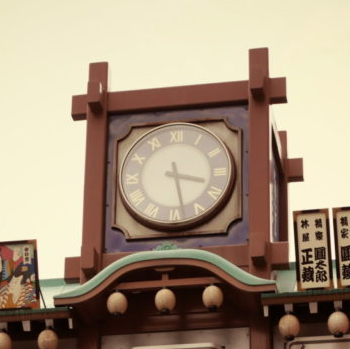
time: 3:28
